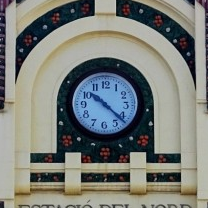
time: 10:21
